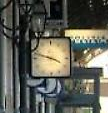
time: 3:47
